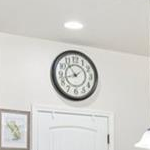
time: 10:42
